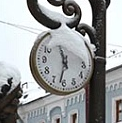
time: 11:32
